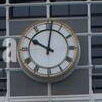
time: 10:01
